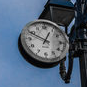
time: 12:49
